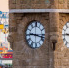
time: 9:17
